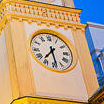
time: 7:28
